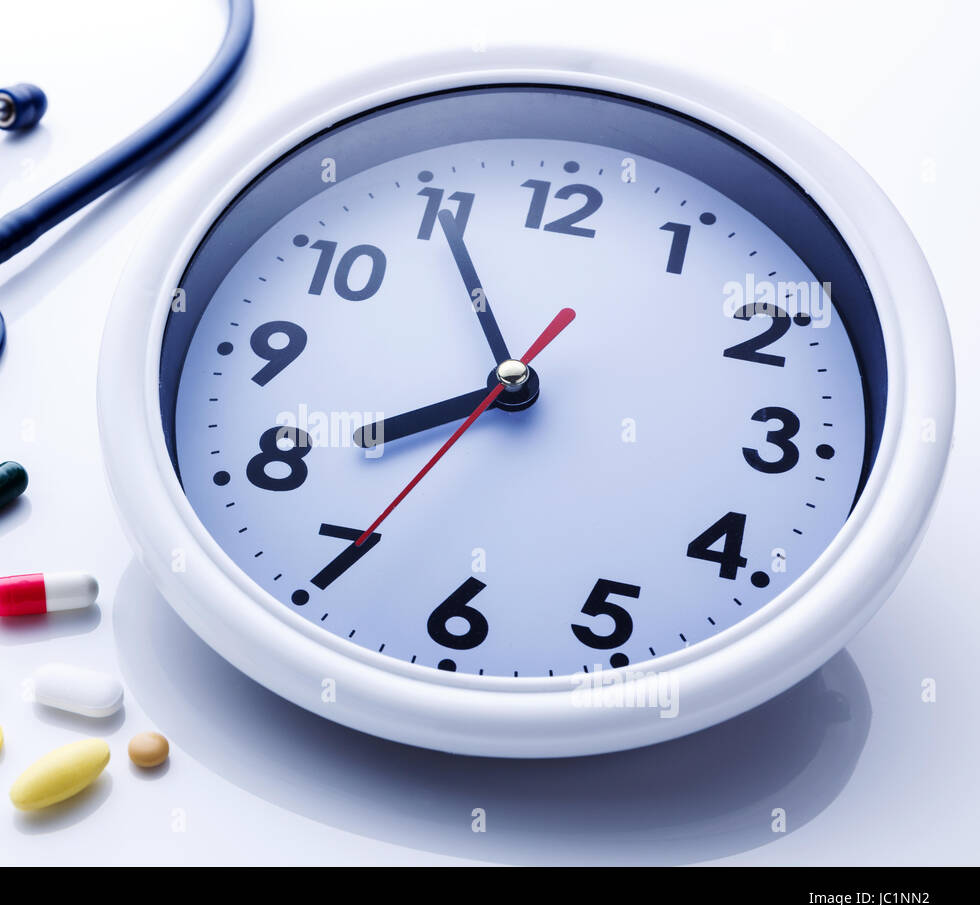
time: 7:55
